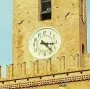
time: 3:22
